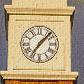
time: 7:07
